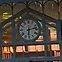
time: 6:12
